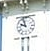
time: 9:57
